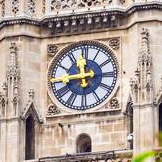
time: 11:44
